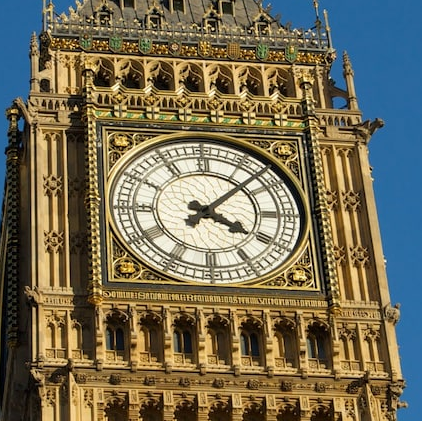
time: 4:07
